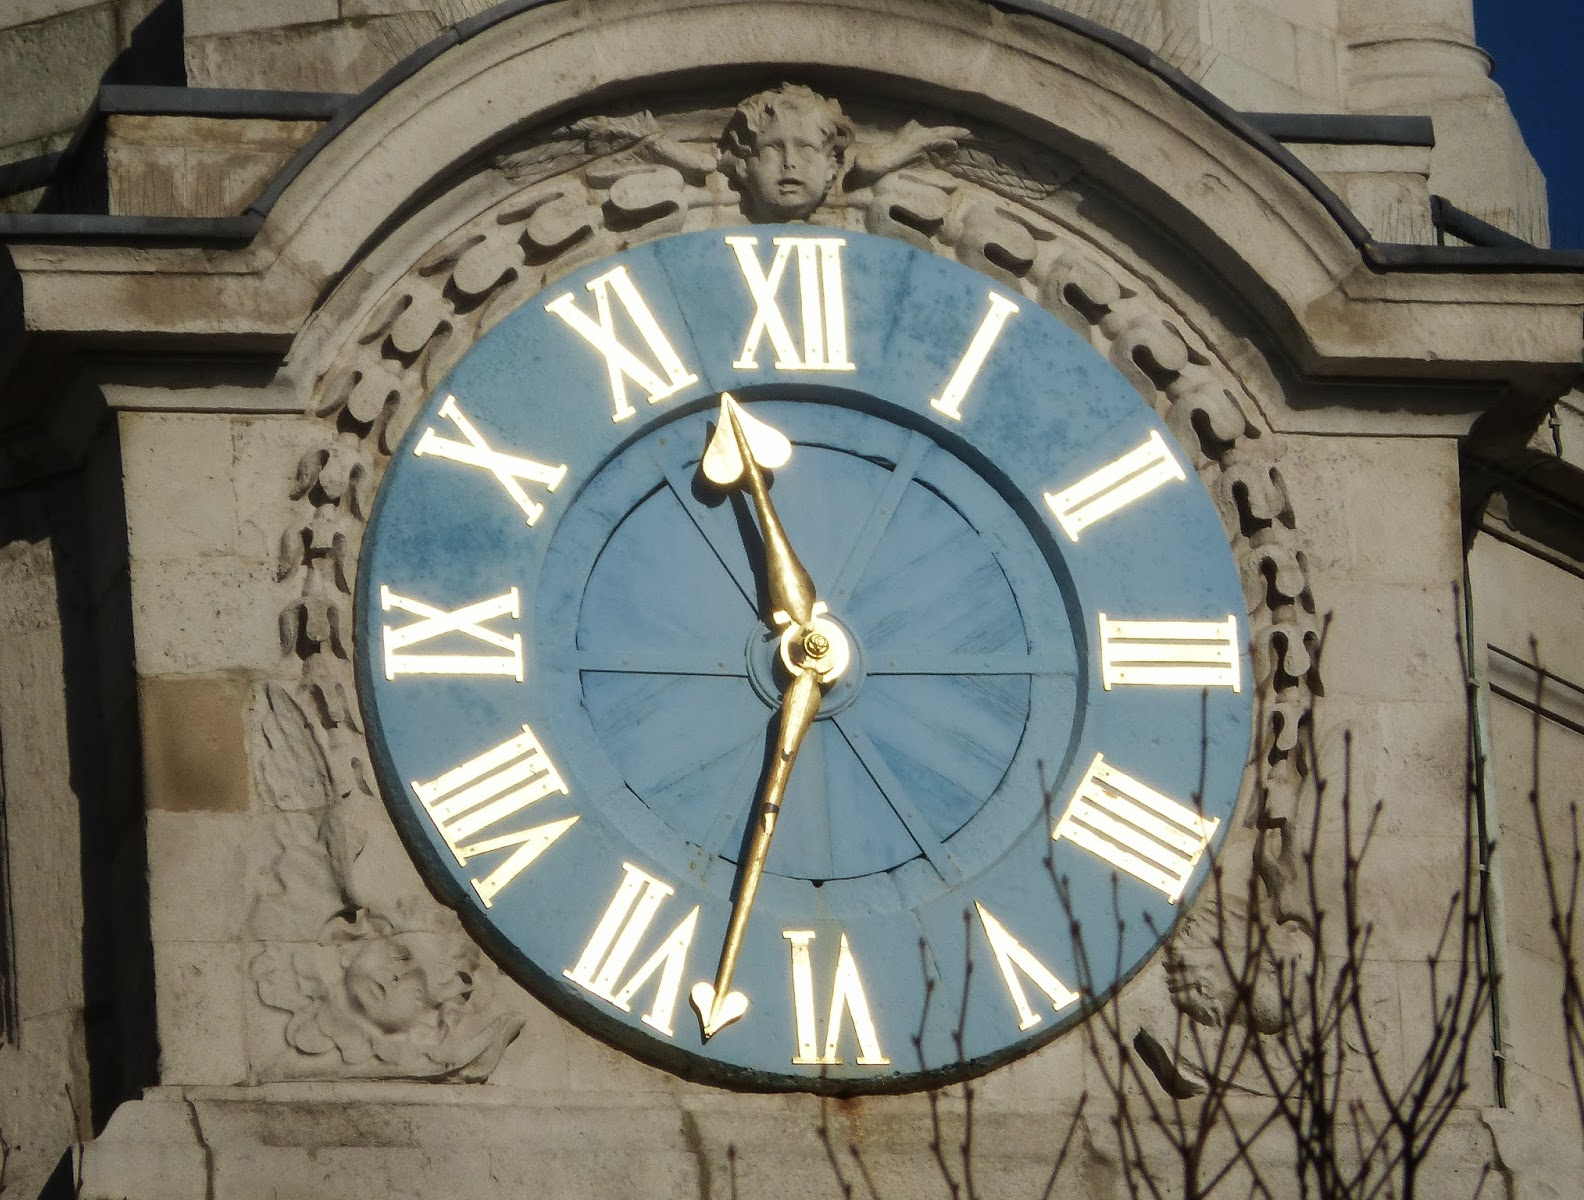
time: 11:33
